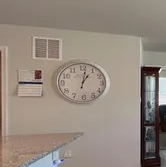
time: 1:01
